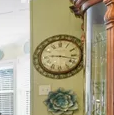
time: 9:17
